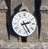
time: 2:24
